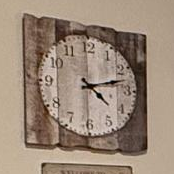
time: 4:12
